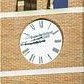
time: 8:43
